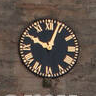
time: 10:03
